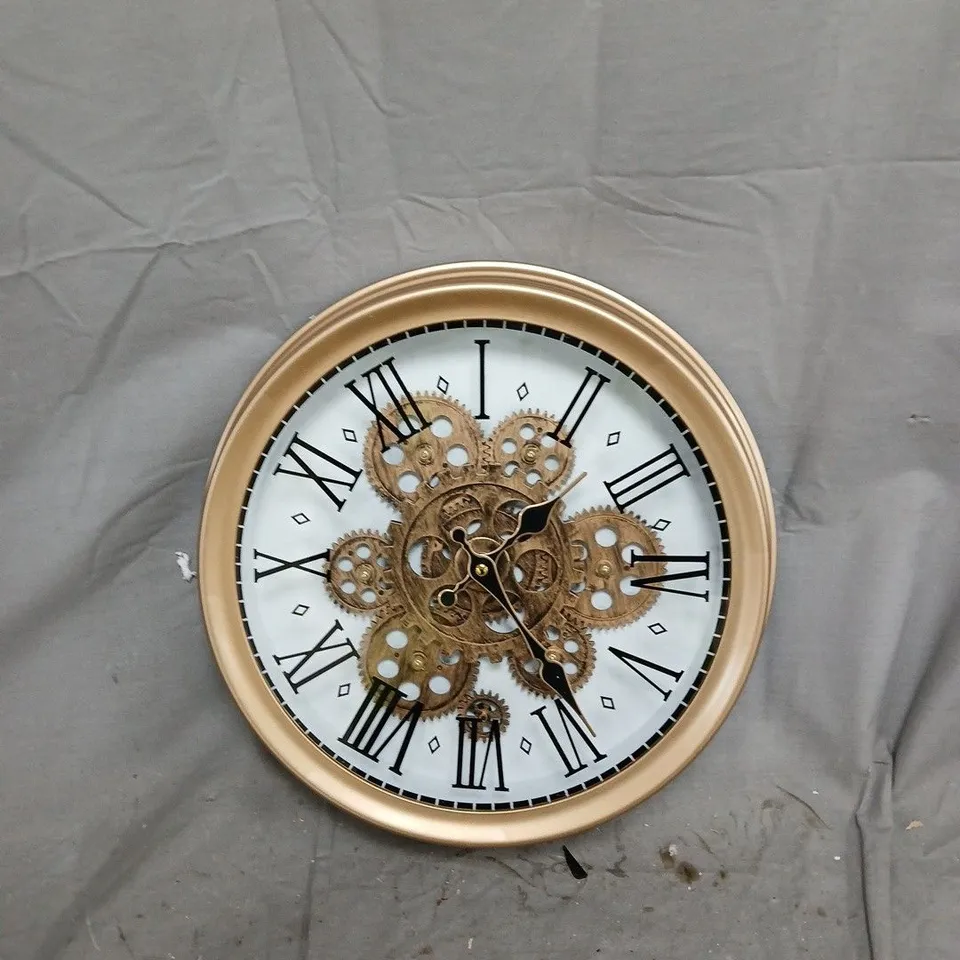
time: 1:23
